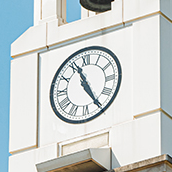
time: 11:25
